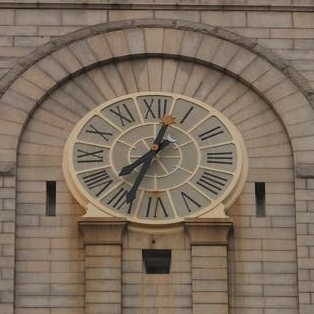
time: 7:33
